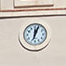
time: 12:03
